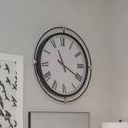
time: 11:19
